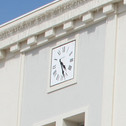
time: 4:27
